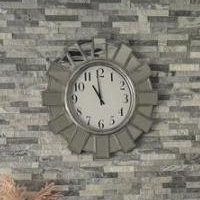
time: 10:59
